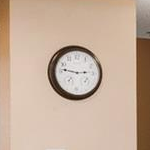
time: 2:46
